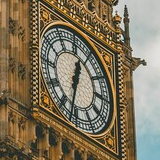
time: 12:32
